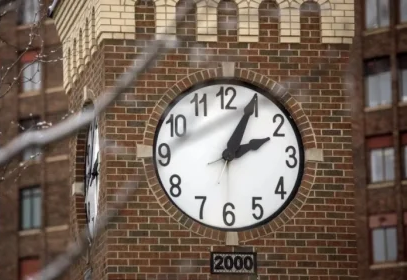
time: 2:04
